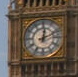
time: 12:11
